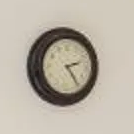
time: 2:24
